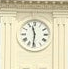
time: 11:31
